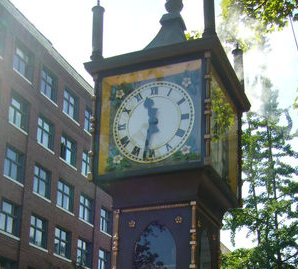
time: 11:32
